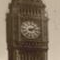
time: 2:15
